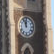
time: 11:55
